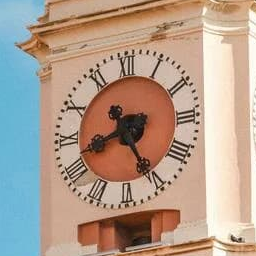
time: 8:25
